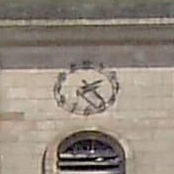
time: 2:23
